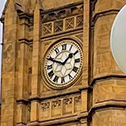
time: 1:49
